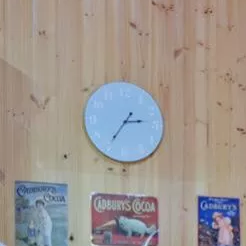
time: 2:35
